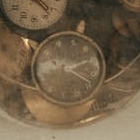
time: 2:19
